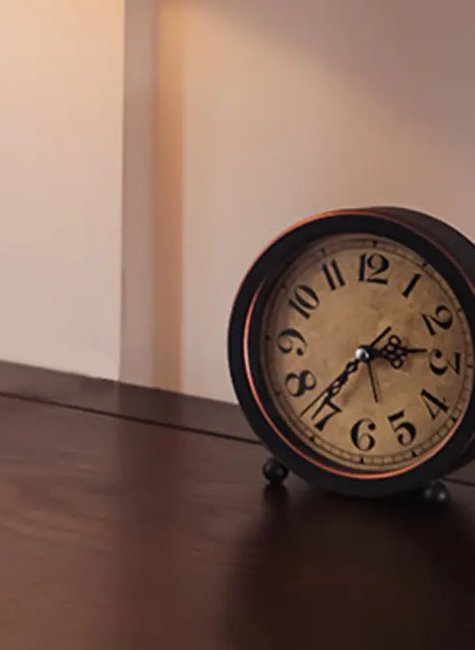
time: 2:36
